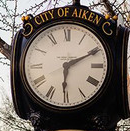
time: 6:10
